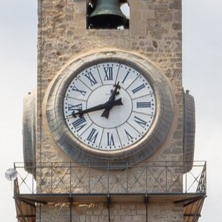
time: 12:42
